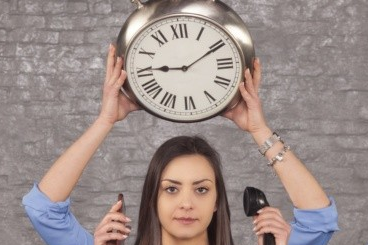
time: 9:10
